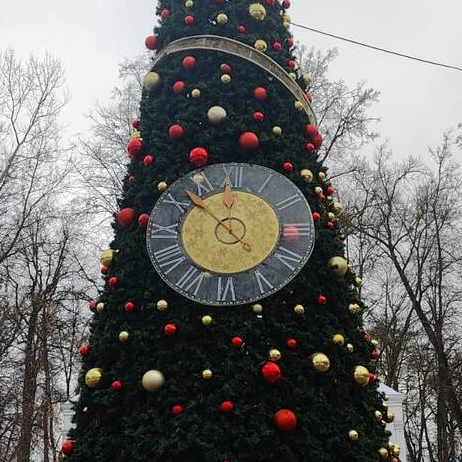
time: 4:52
